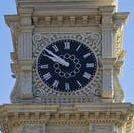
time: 9:51
